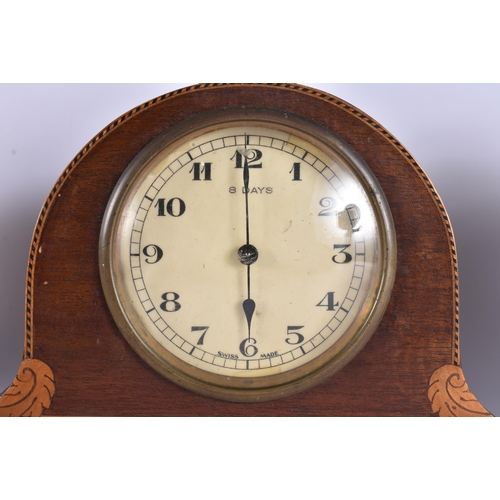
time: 5:59
